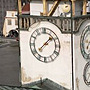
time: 1:38
